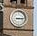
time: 3:14
